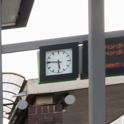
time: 5:45
